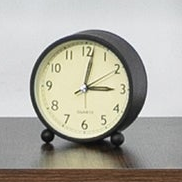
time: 3:01
